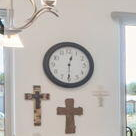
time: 12:30
